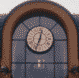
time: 12:33
